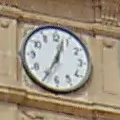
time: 12:34
